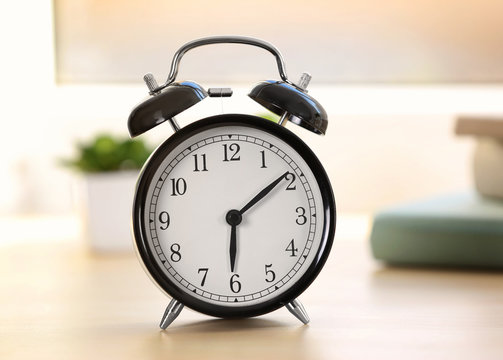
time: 6:09
